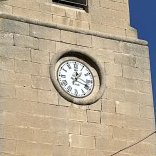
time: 12:18
